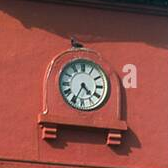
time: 4:34
